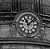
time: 11:07
